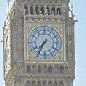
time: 7:35
